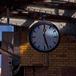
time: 12:26
